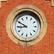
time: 8:50
